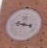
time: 9:17
